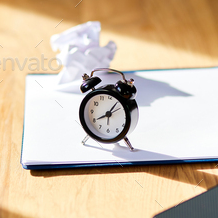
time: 8:07
